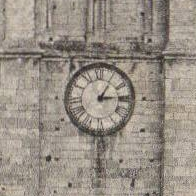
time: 1:14
